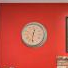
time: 12:31
